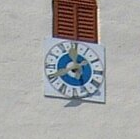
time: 1:40
